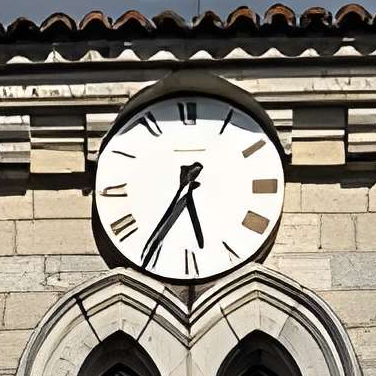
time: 5:35
